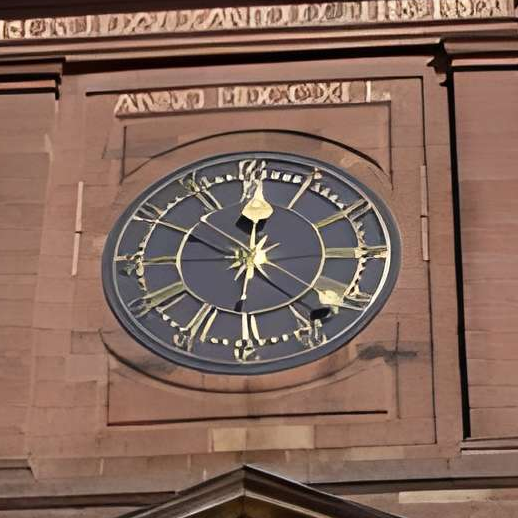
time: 12:00
